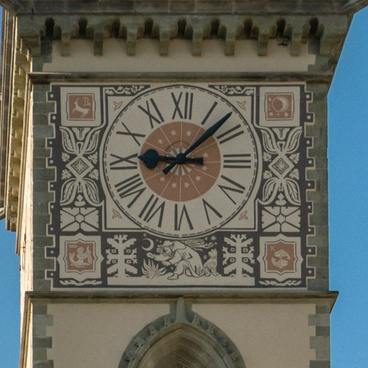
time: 9:07
